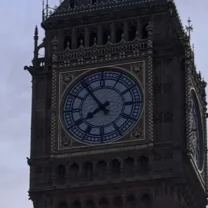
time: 7:53
